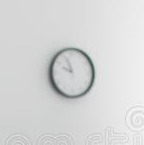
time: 9:56
